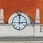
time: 3:00
